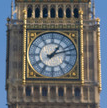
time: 1:12
